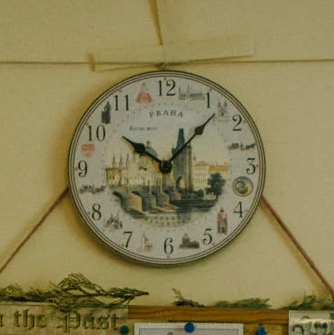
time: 10:07
